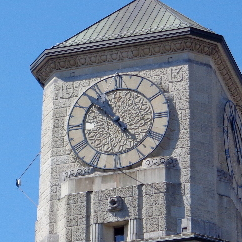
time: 10:22
